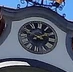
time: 2:48
